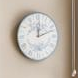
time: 12:11
